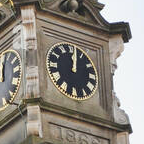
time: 12:01
